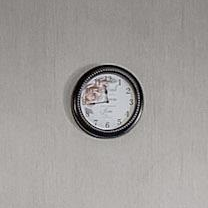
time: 11:43
